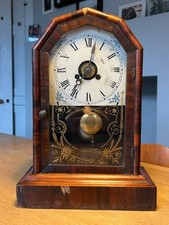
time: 7:03
